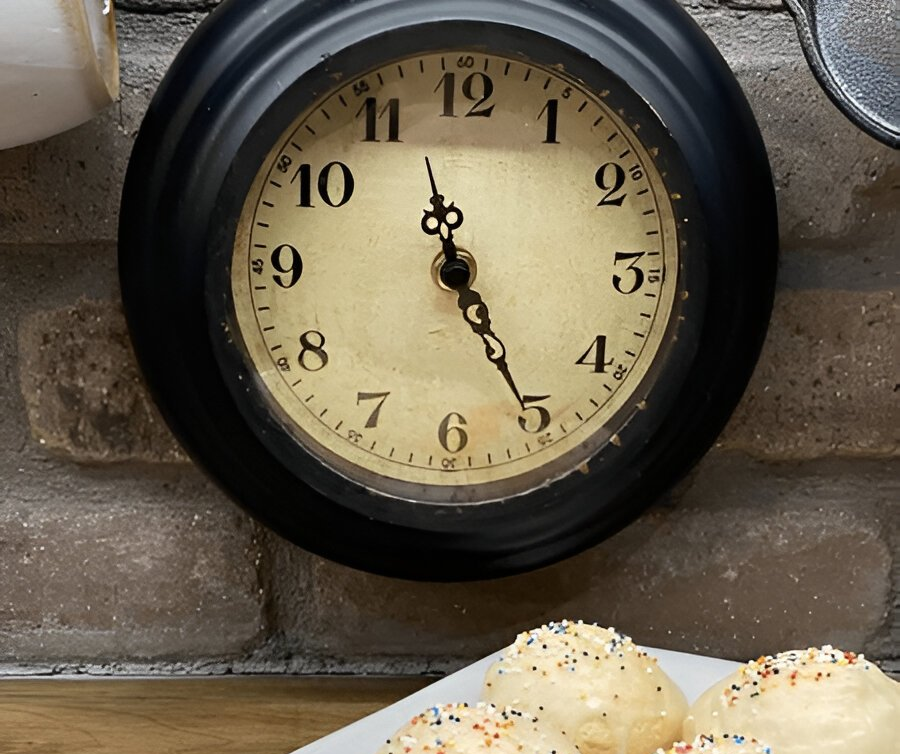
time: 11:25
